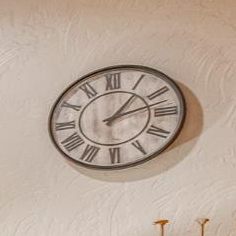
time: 1:12
